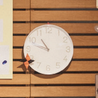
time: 10:48
